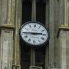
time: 2:44
